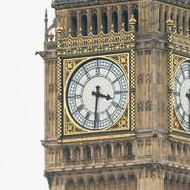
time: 3:31
